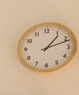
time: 1:11
